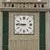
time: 8:46
